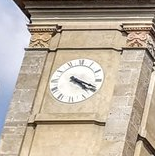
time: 4:18
